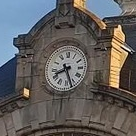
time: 8:26
